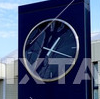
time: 1:18
